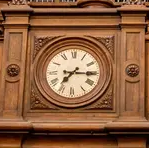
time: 7:15
